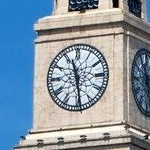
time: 11:28
